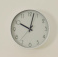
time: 10:02
